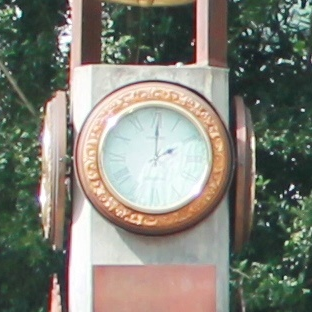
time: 2:00
